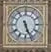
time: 5:26
